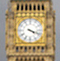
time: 4:18
